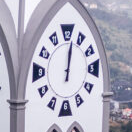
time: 12:01
